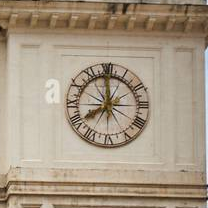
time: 7:59
